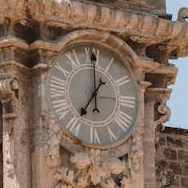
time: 7:00
